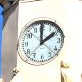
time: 1:59
